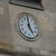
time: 4:59
